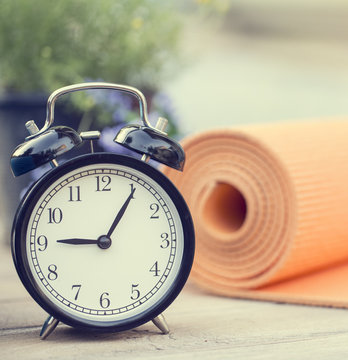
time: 9:05
